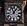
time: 11:06
